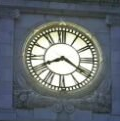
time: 8:20
